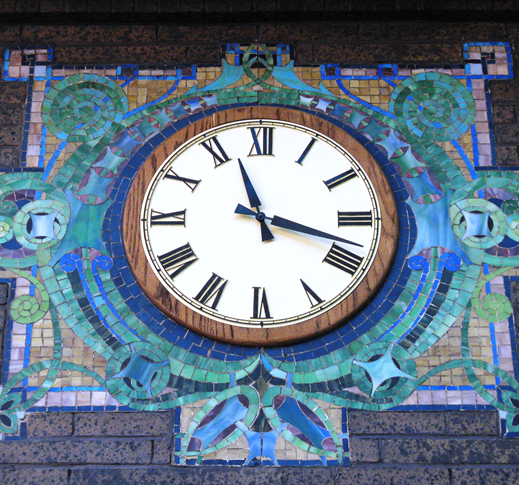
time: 11:17
